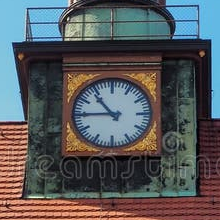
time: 10:45
